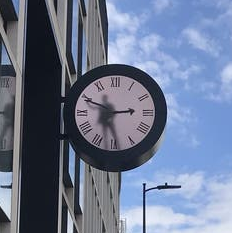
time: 2:48
